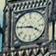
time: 3:45
